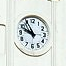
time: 9:55
